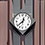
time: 12:38
